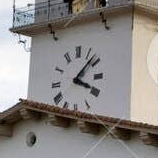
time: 4:07
